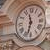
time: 11:32
